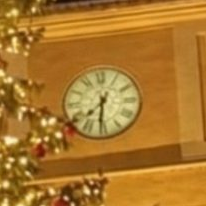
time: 7:30
